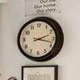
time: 2:17
